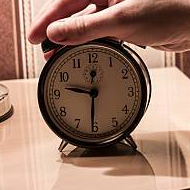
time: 9:30
